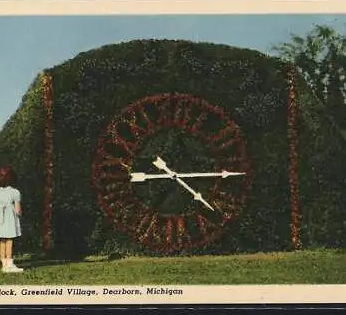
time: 4:14
